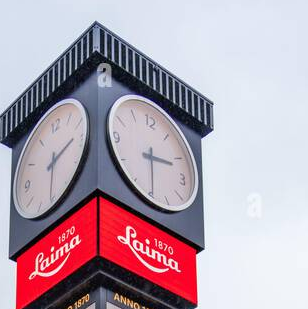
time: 2:29
